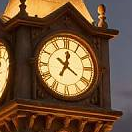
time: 12:20
